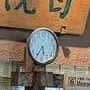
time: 5:35
